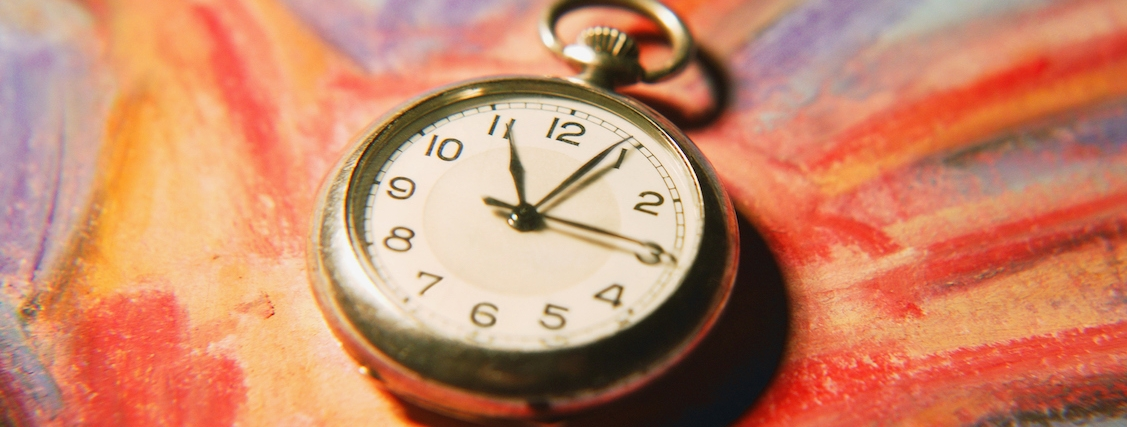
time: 11:04
